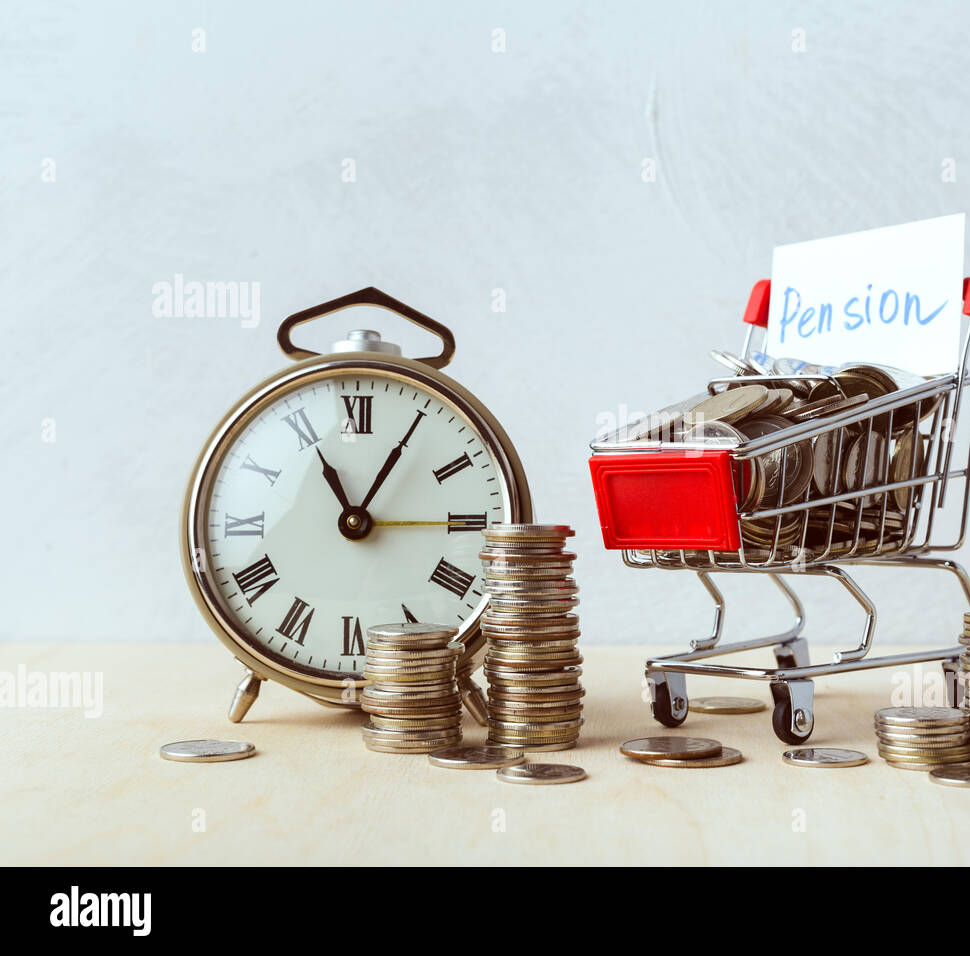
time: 11:05
